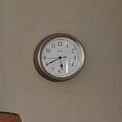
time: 5:40
